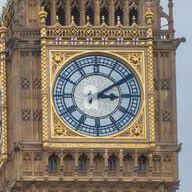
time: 3:09
